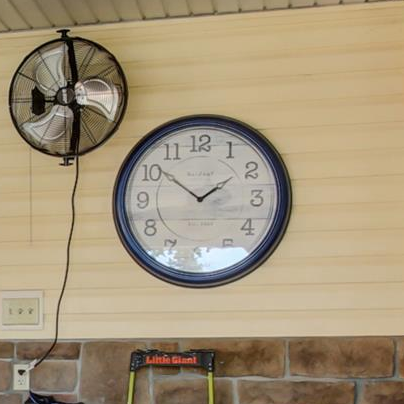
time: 1:51
